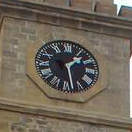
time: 1:28
